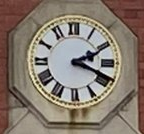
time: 2:18
